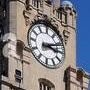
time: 3:11
